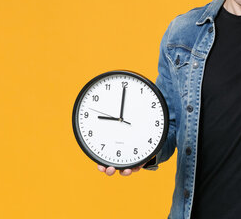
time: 8:59
